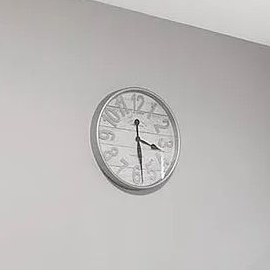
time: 3:28
